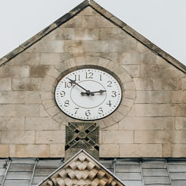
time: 2:52
